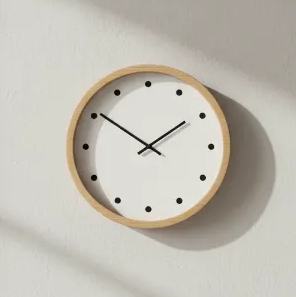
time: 1:50
